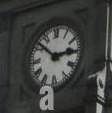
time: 2:52
